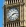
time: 2:38
